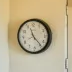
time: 11:23
